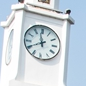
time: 11:40
